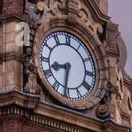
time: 8:31
